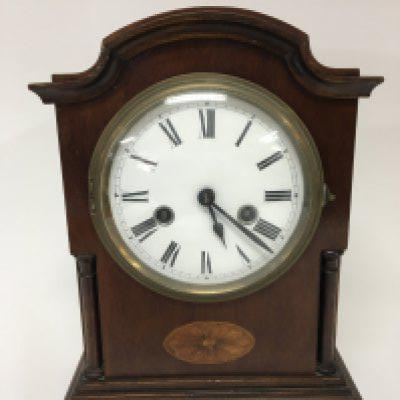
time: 5:21
